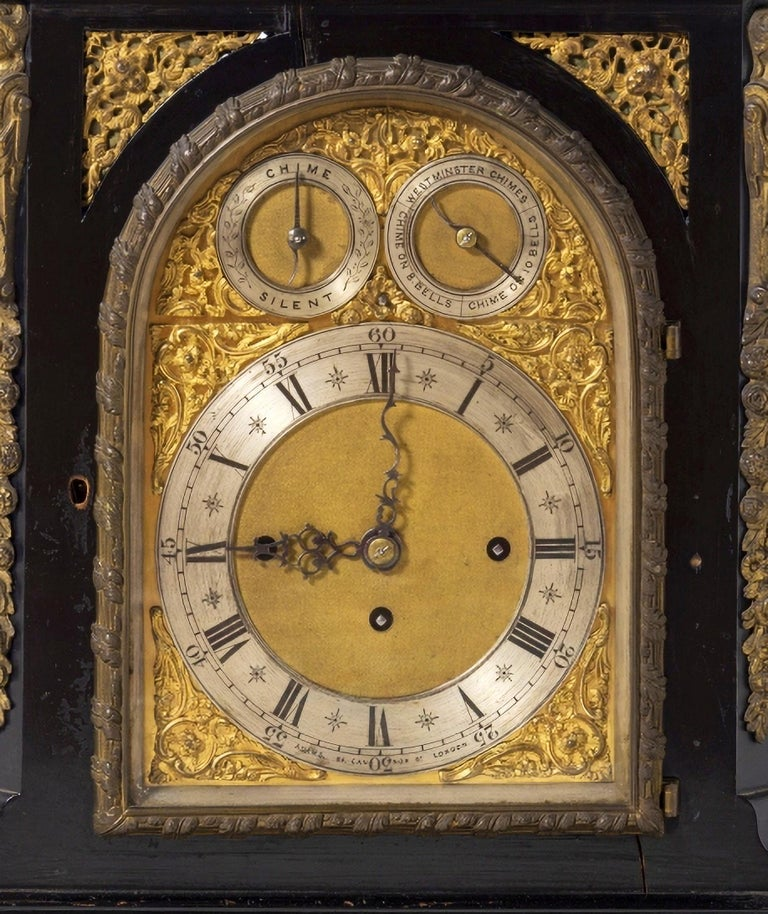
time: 9:01
